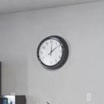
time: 12:08
